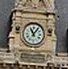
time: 11:06
